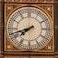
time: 7:42
